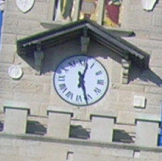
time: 12:27
